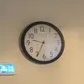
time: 9:34
